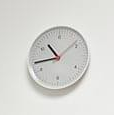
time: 10:43
